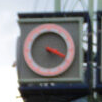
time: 5:18
